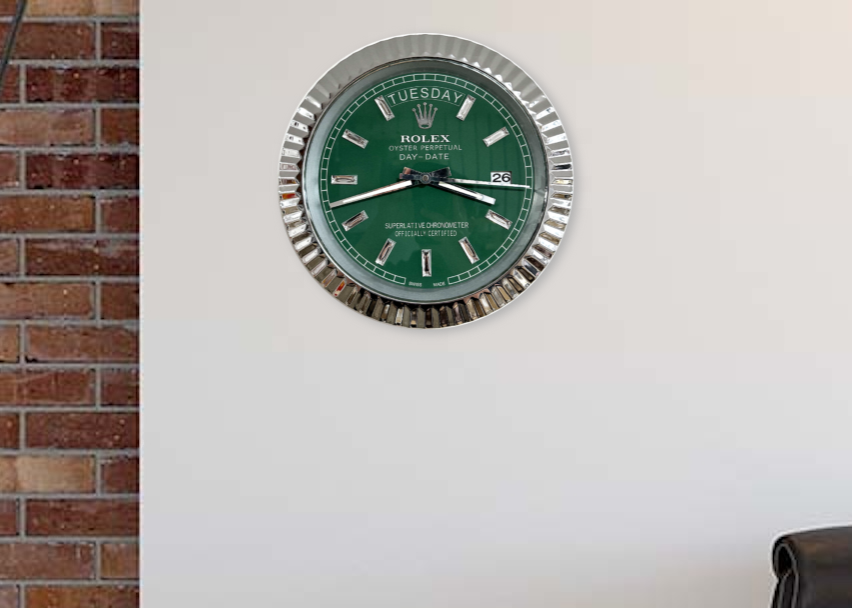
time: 3:42
